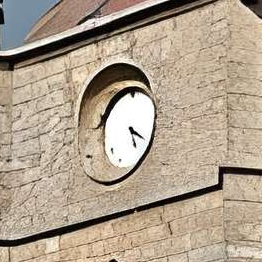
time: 5:20
